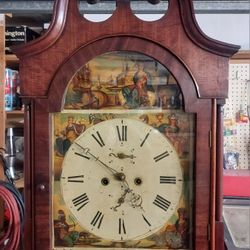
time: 8:51
